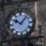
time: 10:07
